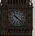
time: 10:22
